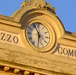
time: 5:55
